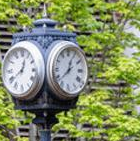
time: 12:38
